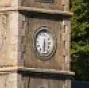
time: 6:29
